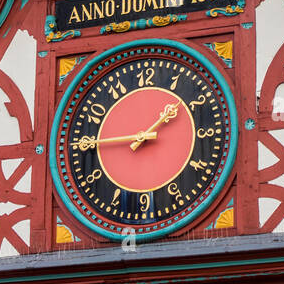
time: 1:44
